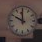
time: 9:59
